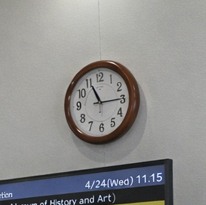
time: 11:14
